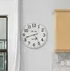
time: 4:42
